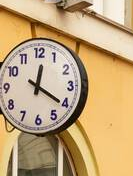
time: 12:20
